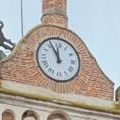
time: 11:55
